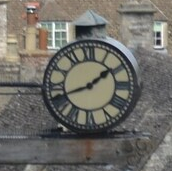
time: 1:41
